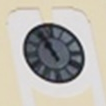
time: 10:56
